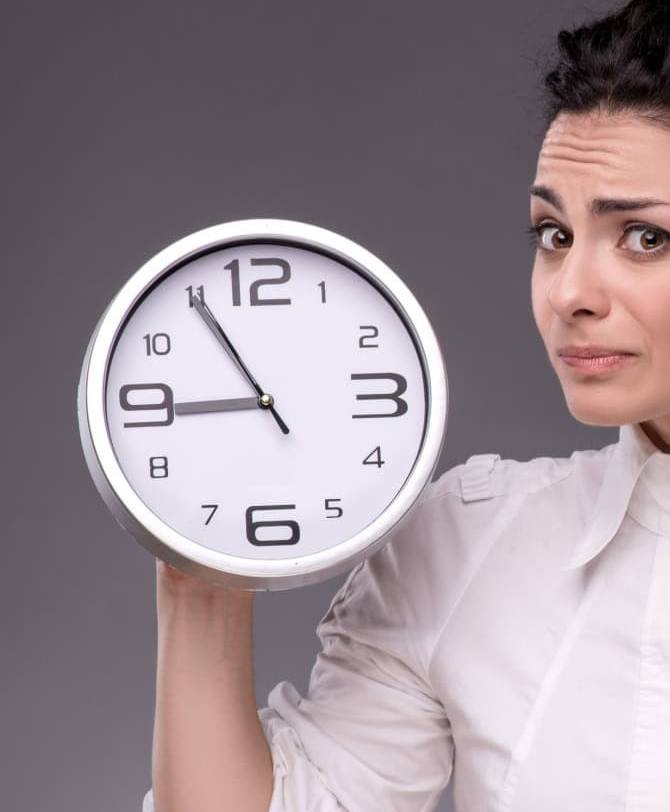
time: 8:54
